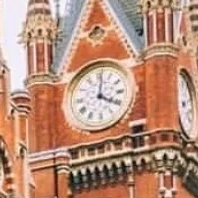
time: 4:01
